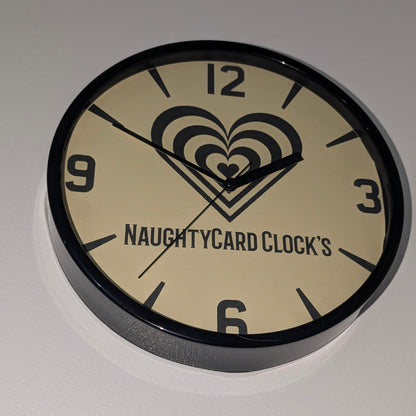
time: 1:50
